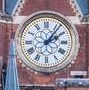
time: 2:06
